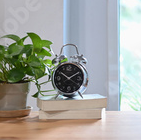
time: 1:51
